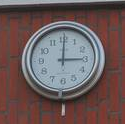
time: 3:00
